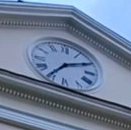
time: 7:10
